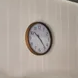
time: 10:23
